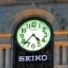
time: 4:37
